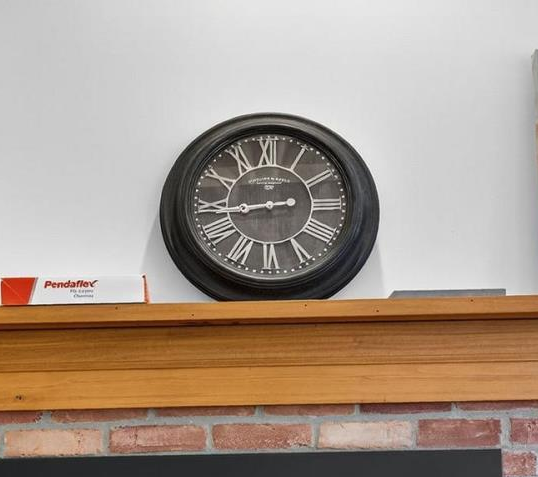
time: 8:43
